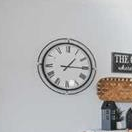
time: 1:15
